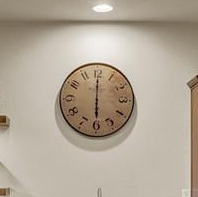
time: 6:00
